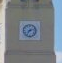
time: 7:12
